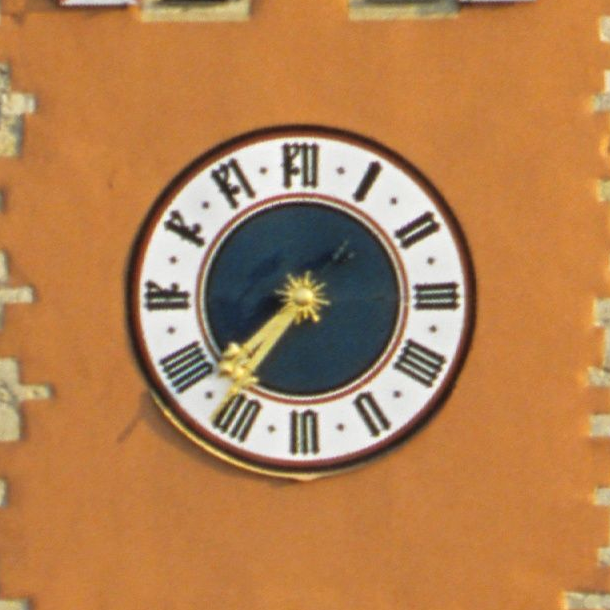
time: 7:36
